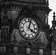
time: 4:02
